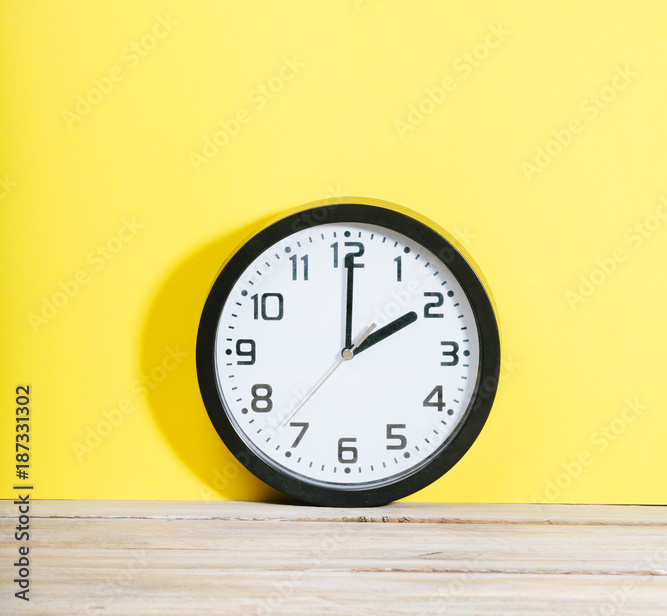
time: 2:00
